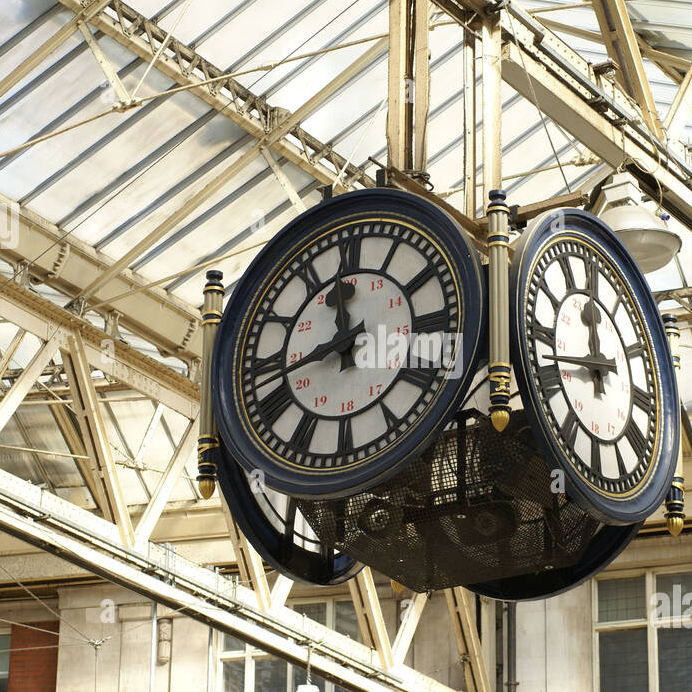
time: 11:42
